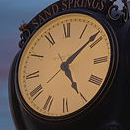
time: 5:08
